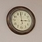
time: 2:58
